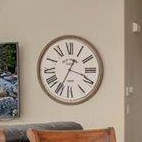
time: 3:34
